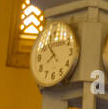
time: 7:53
